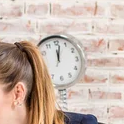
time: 12:02
